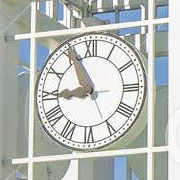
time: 8:56
